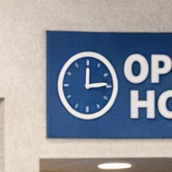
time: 12:13
